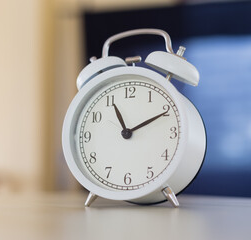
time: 11:10
